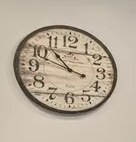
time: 10:48
